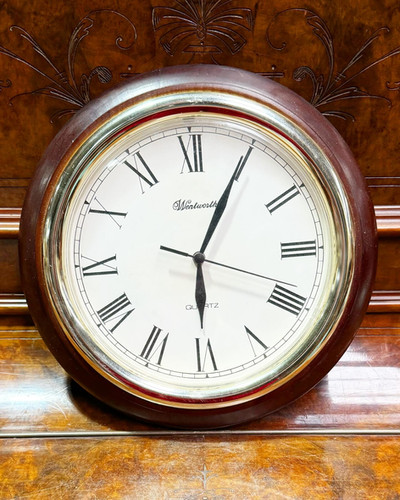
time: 6:04
